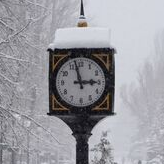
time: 2:57
